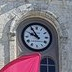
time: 9:54
